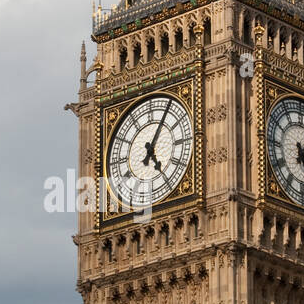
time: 5:05
